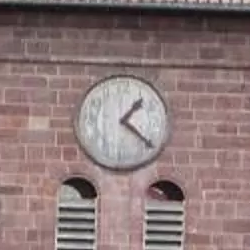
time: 1:21
